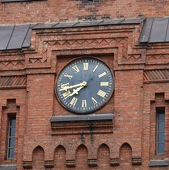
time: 7:42
